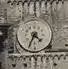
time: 4:34
